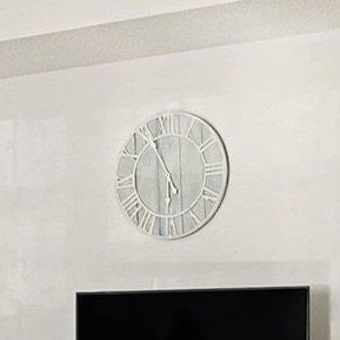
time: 5:55
